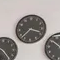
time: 3:37
